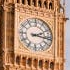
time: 2:16
